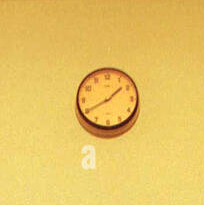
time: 1:40
